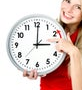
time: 3:00
